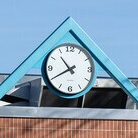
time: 10:40
